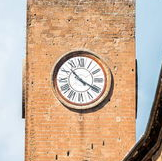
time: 3:52
